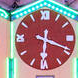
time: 6:18
